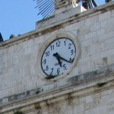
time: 5:21
